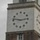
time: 2:46
